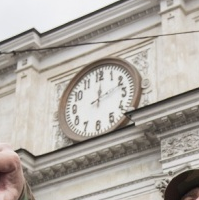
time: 12:11
